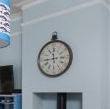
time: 11:44
